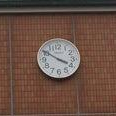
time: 3:50
